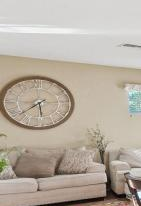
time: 5:38
